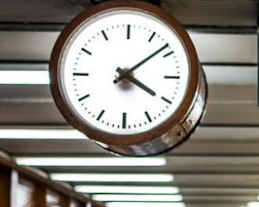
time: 4:08
